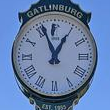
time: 12:56
